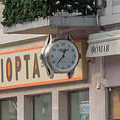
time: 12:36
